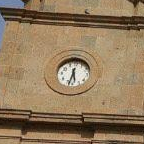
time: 5:32
